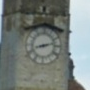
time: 8:12
